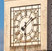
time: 6:08
